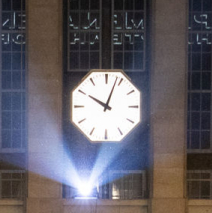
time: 10:03
